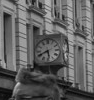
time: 5:40
